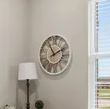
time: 11:10
